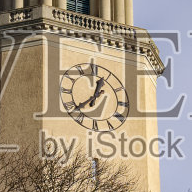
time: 12:38
